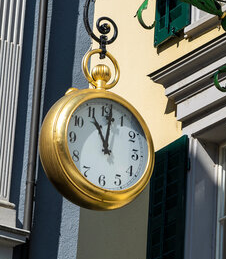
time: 11:01
